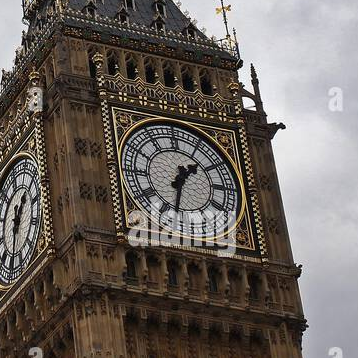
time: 1:32
